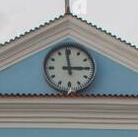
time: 2:58
